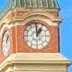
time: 1:00
